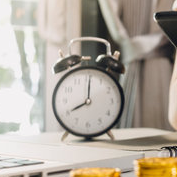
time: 8:01
